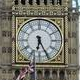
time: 6:25
